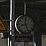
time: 8:26
